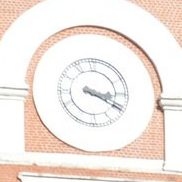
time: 3:20
